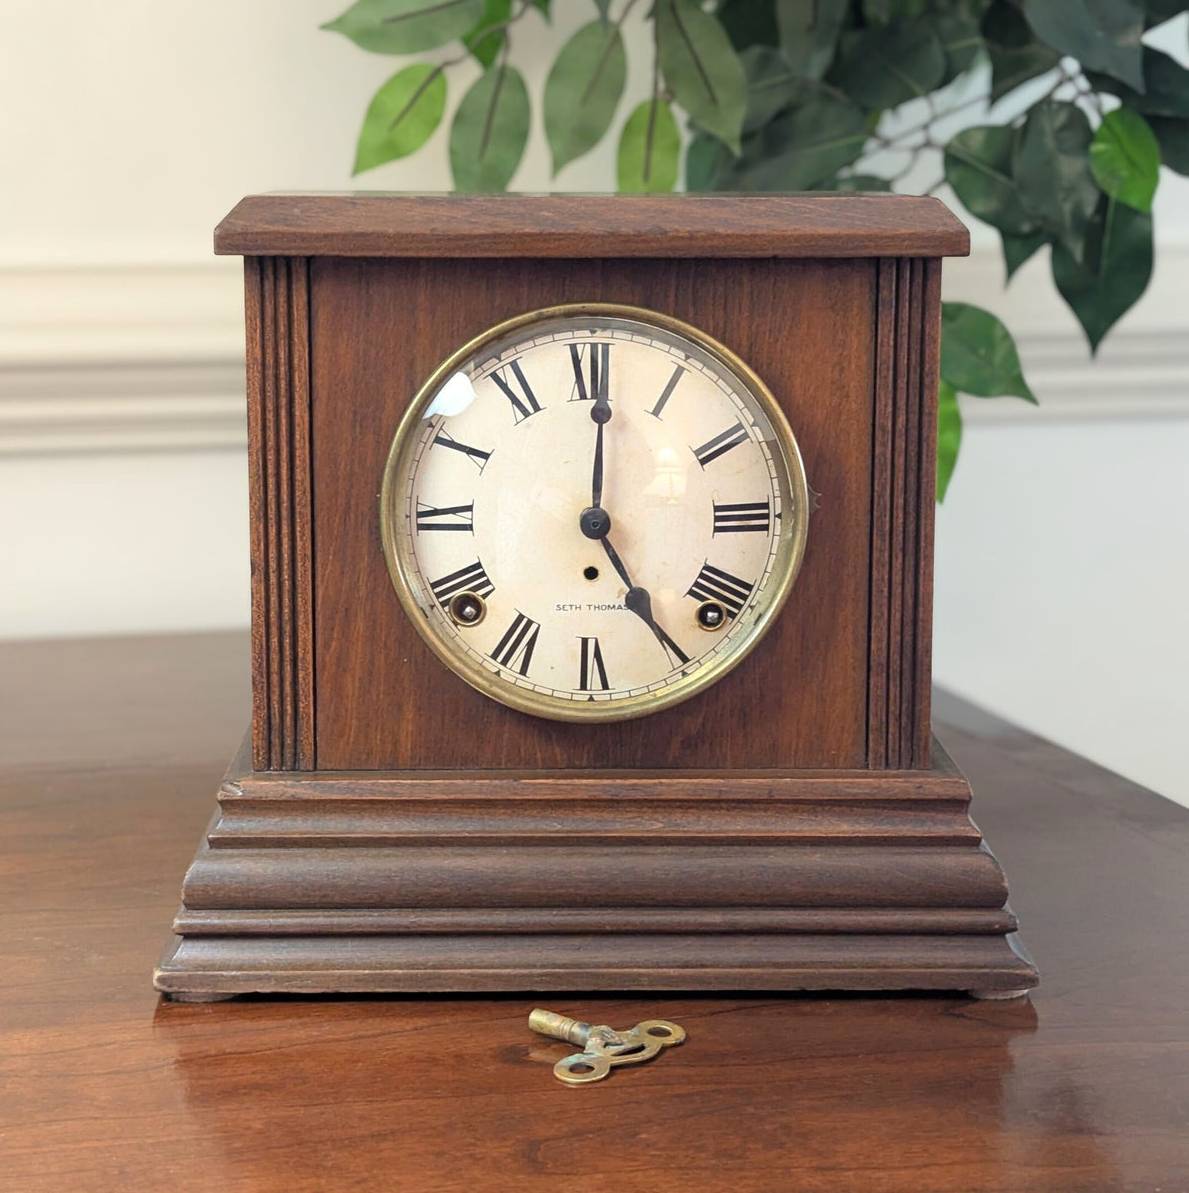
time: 5:00
